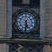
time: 5:31
